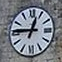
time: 12:45
